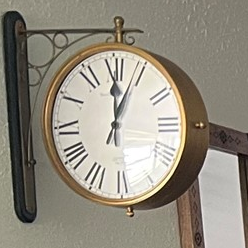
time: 12:04
